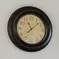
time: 11:08
